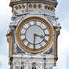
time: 3:30
